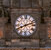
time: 8:12
